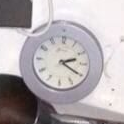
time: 2:20
